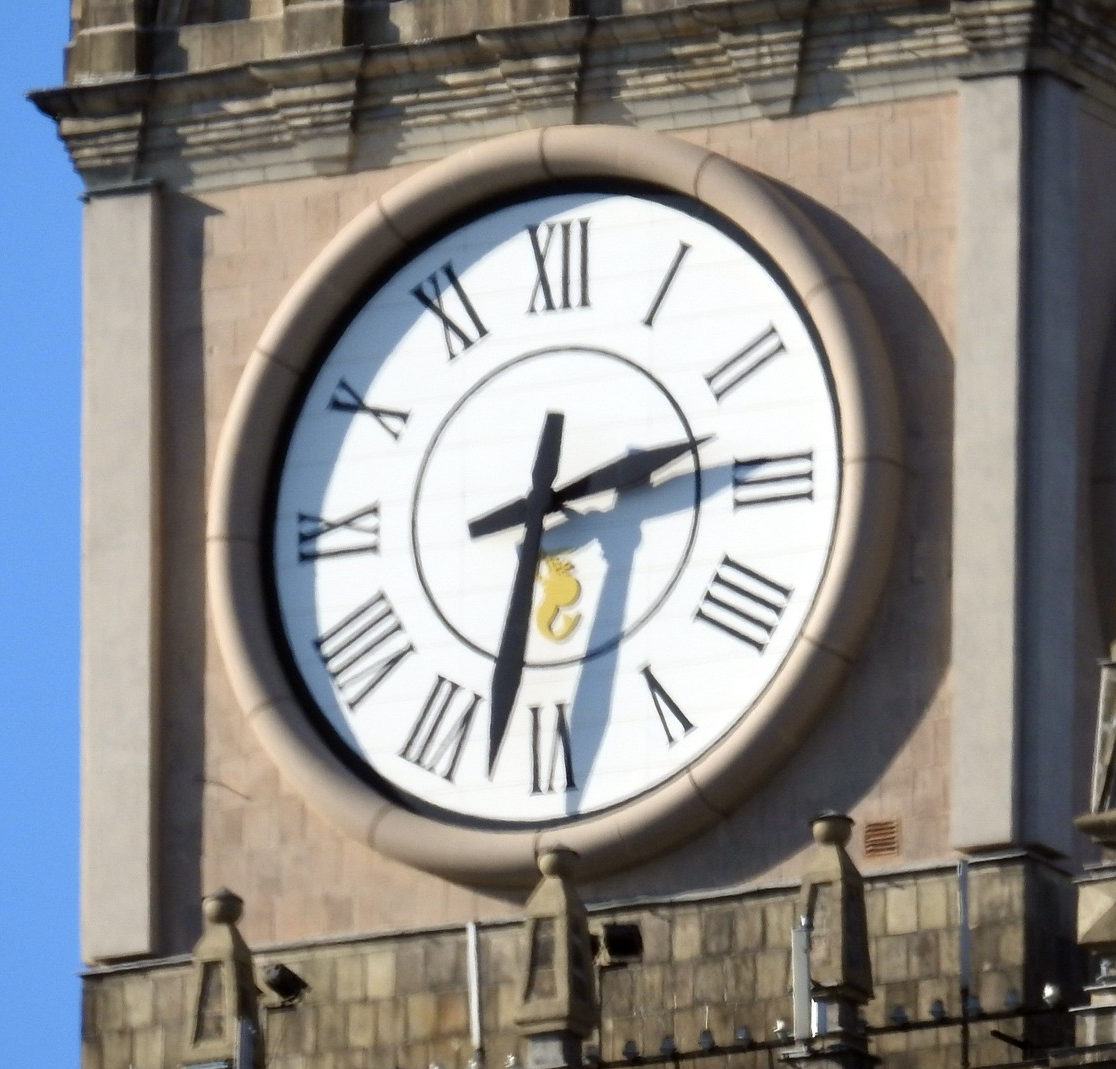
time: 2:32
